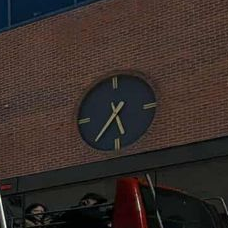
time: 5:35
